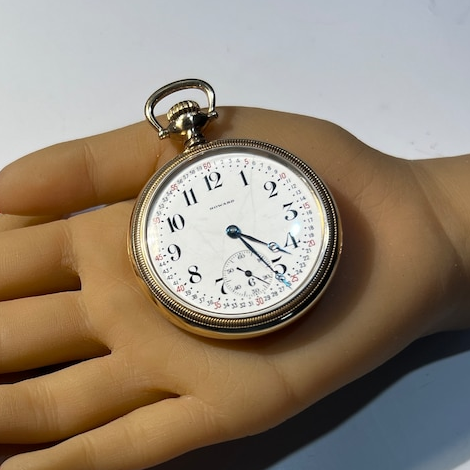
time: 4:26
